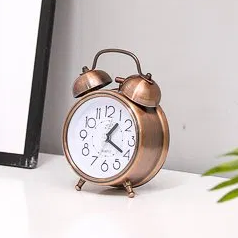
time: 1:20
